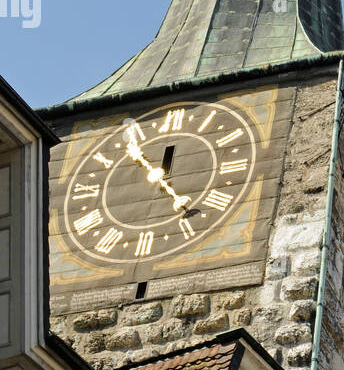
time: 12:23
